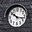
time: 10:17
